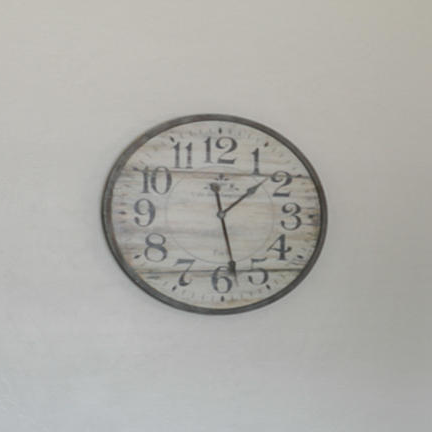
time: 1:28
